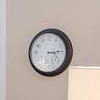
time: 3:14
